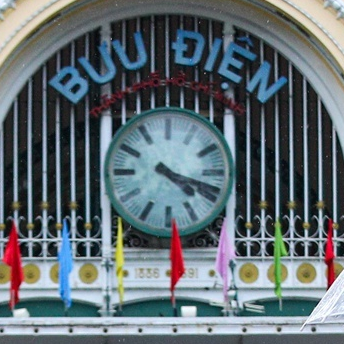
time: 4:17
